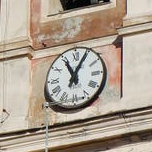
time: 11:04
